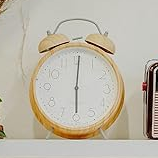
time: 6:00
